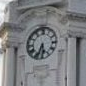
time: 5:33
